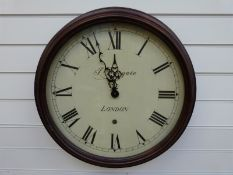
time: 11:55
